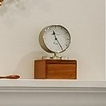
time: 11:24
